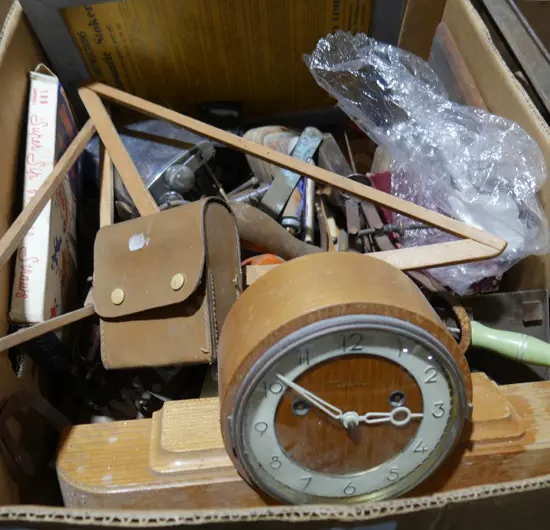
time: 2:51
